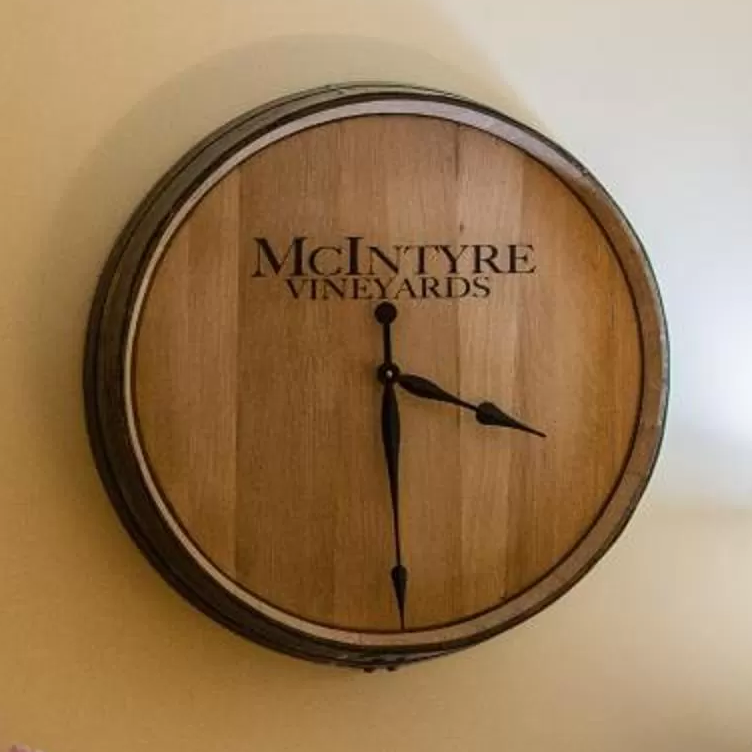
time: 3:29
